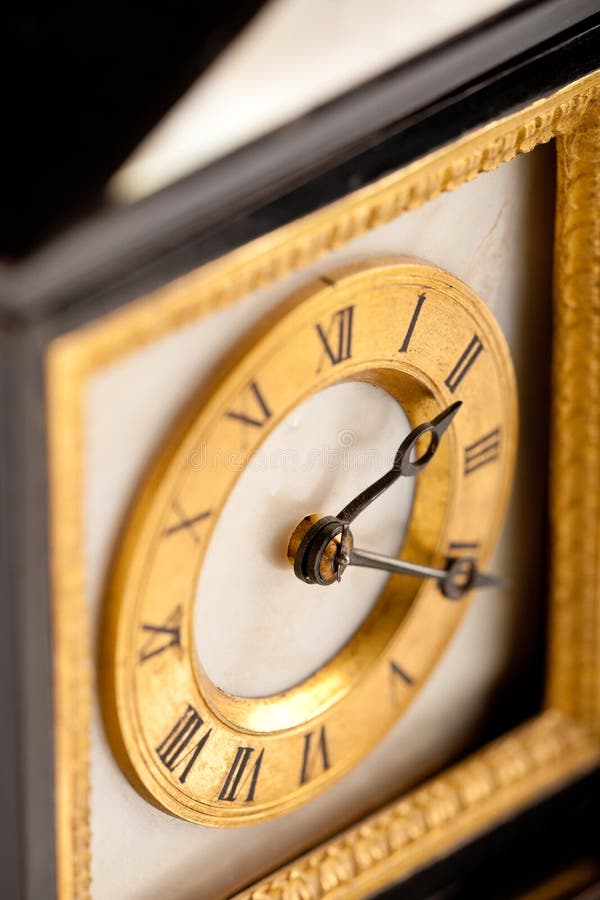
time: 2:21
